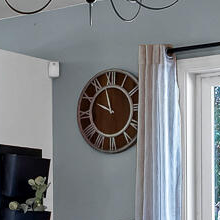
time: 9:57
